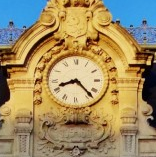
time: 8:23
